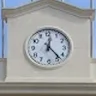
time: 12:23
